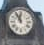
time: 11:55
